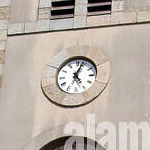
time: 5:03
